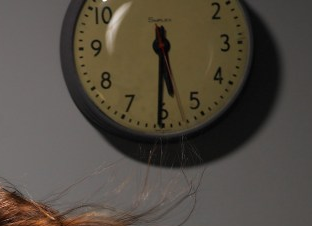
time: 5:30
